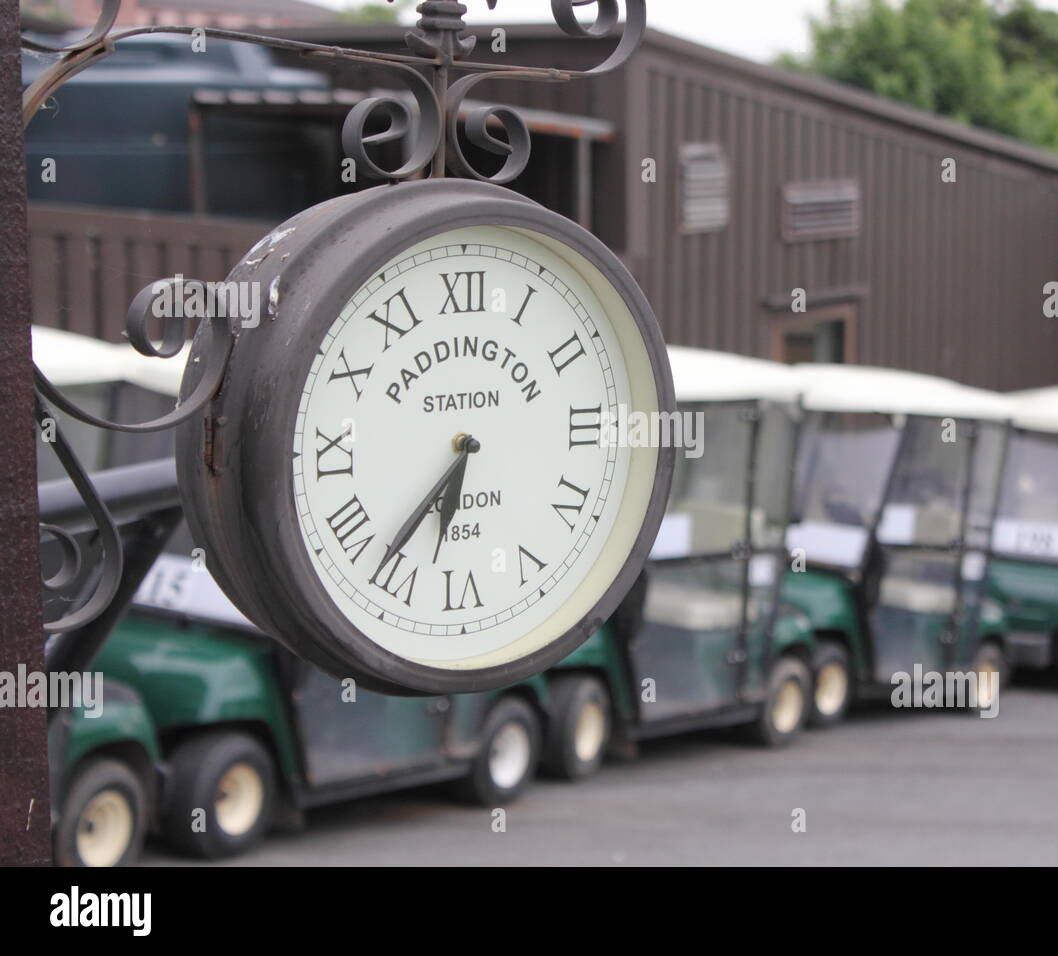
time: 6:36
